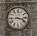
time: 3:43
